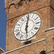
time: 6:01
